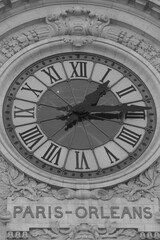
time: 1:14
